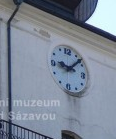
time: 9:08
